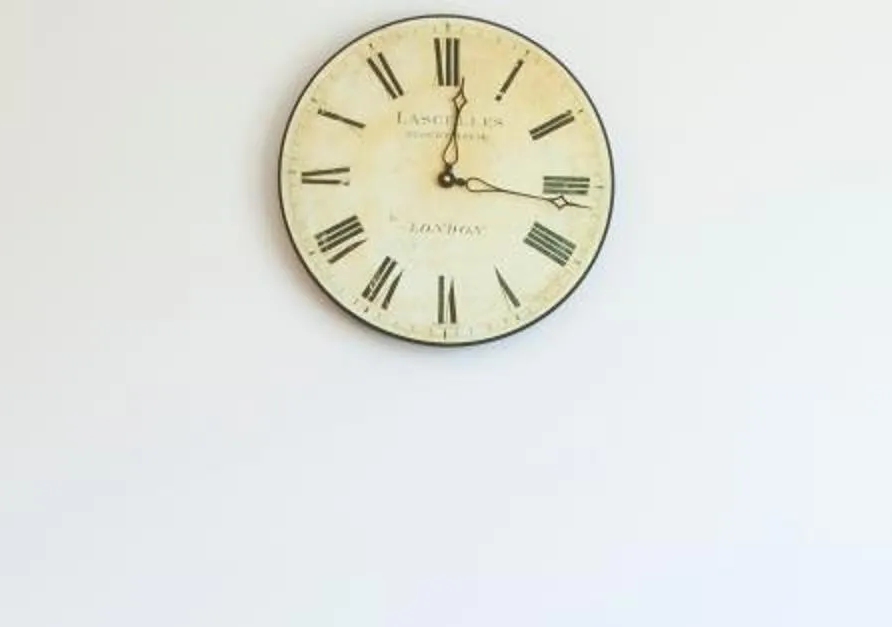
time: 12:16
